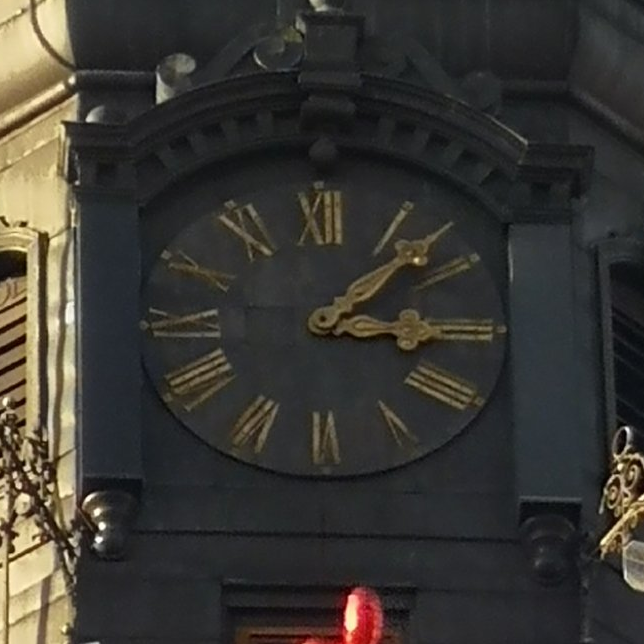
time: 3:07
